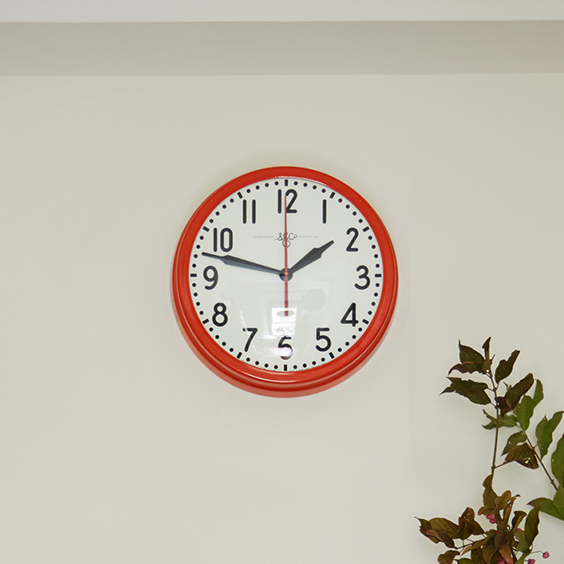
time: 1:47
